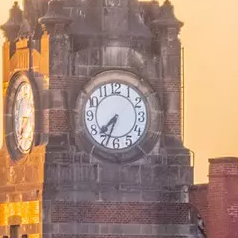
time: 7:33
